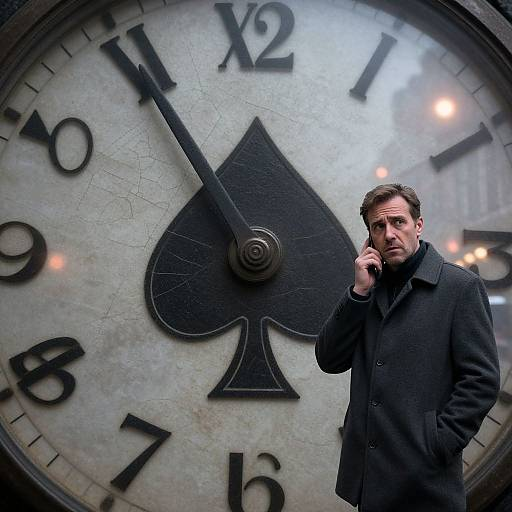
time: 10:54
